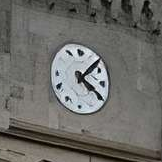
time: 4:07
